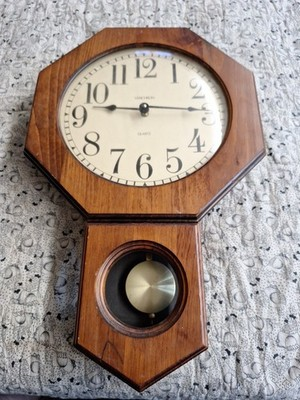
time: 9:14
